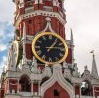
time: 1:14
